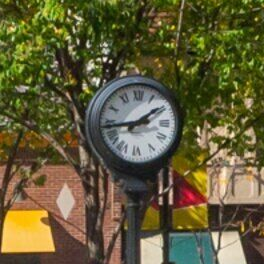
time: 1:43
